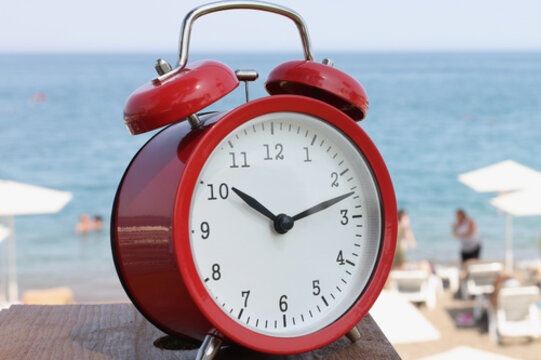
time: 10:12
